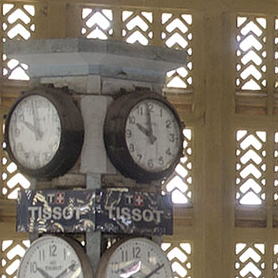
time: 9:59
